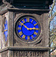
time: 2:50
